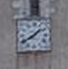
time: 1:39
